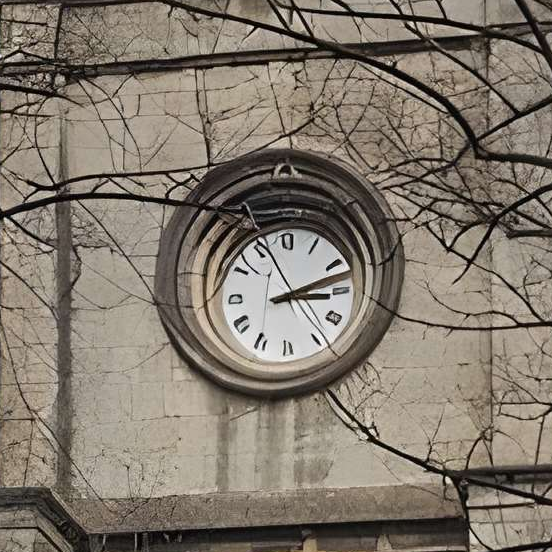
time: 3:12
